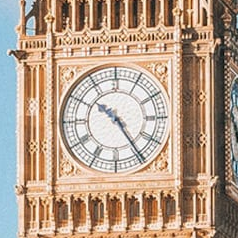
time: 10:24
